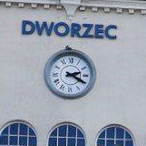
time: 2:19
